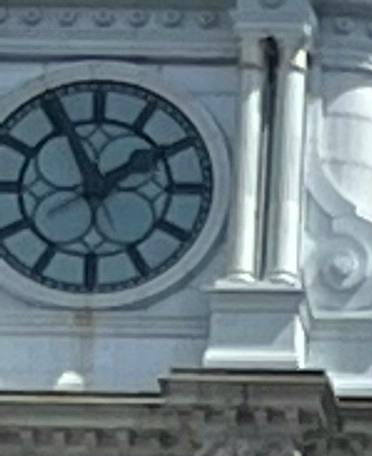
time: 1:56
